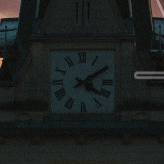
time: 4:09
